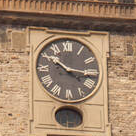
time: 10:15
